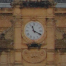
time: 11:19
